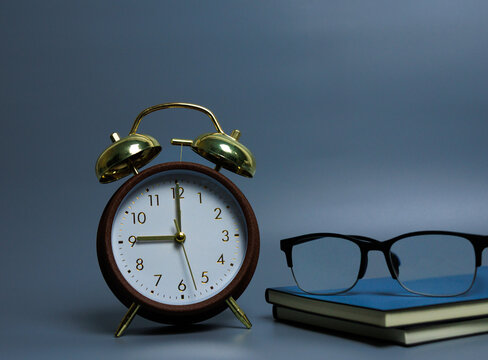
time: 9:00
